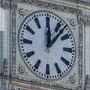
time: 12:07
